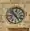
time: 4:52
